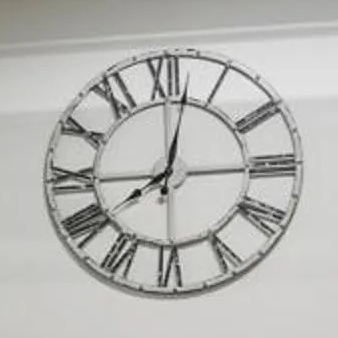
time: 7:45
